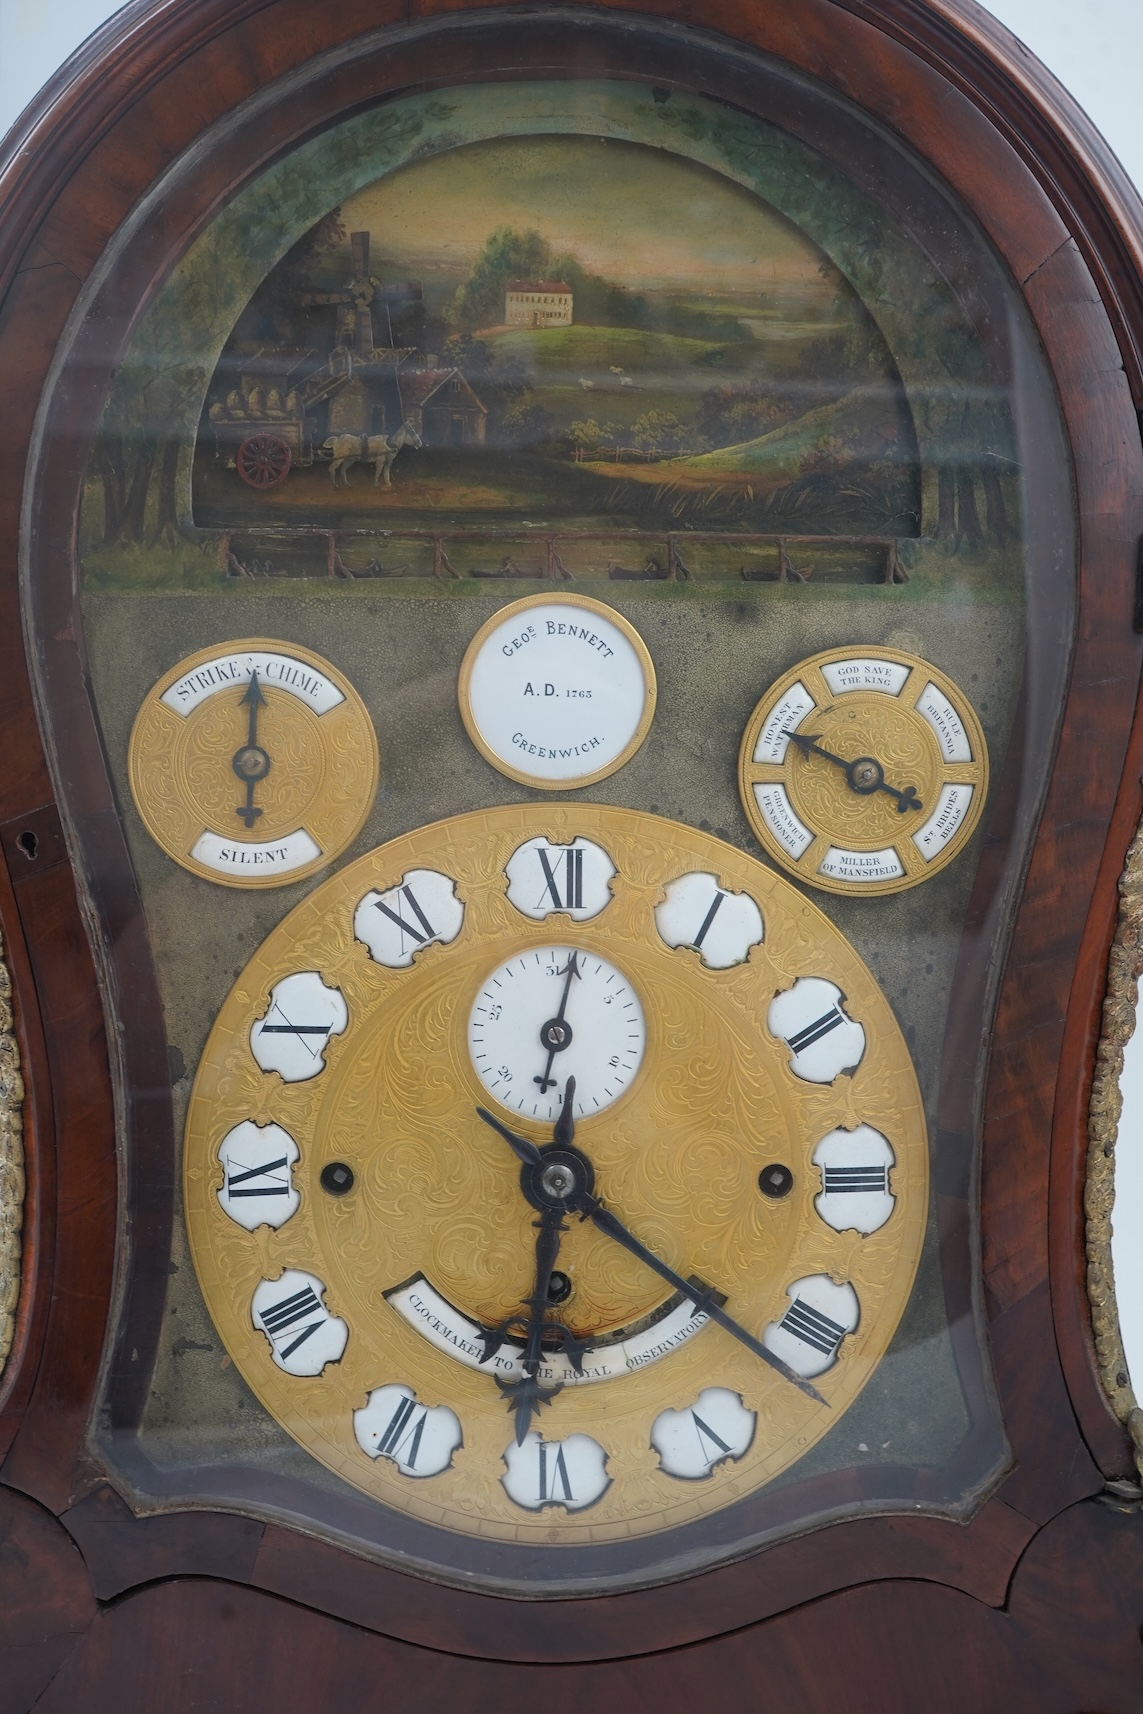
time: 6:21
